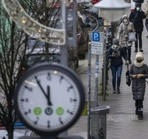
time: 11:54
